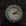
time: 3:09
